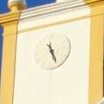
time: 5:26
